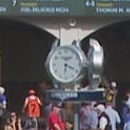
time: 6:19
